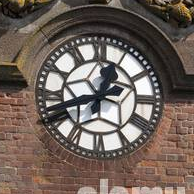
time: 12:41
